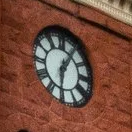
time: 6:05
